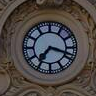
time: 7:18
